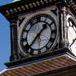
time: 1:37
